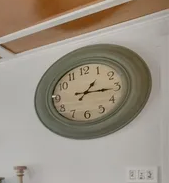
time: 1:15
